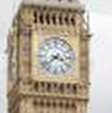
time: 3:38
